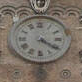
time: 4:20
